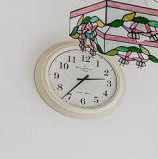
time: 2:36
